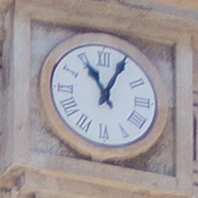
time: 11:04
